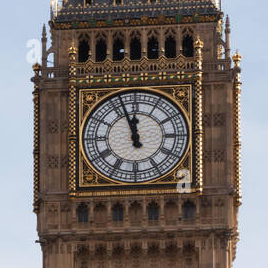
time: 11:56
